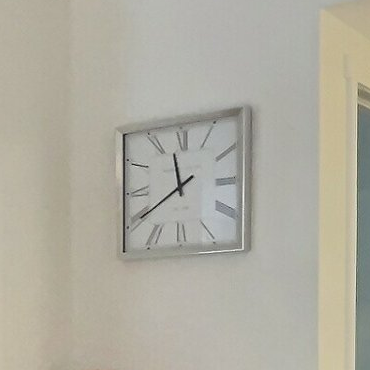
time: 11:39
